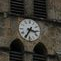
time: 3:34
